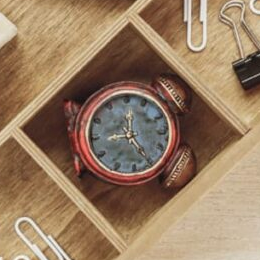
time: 12:24
